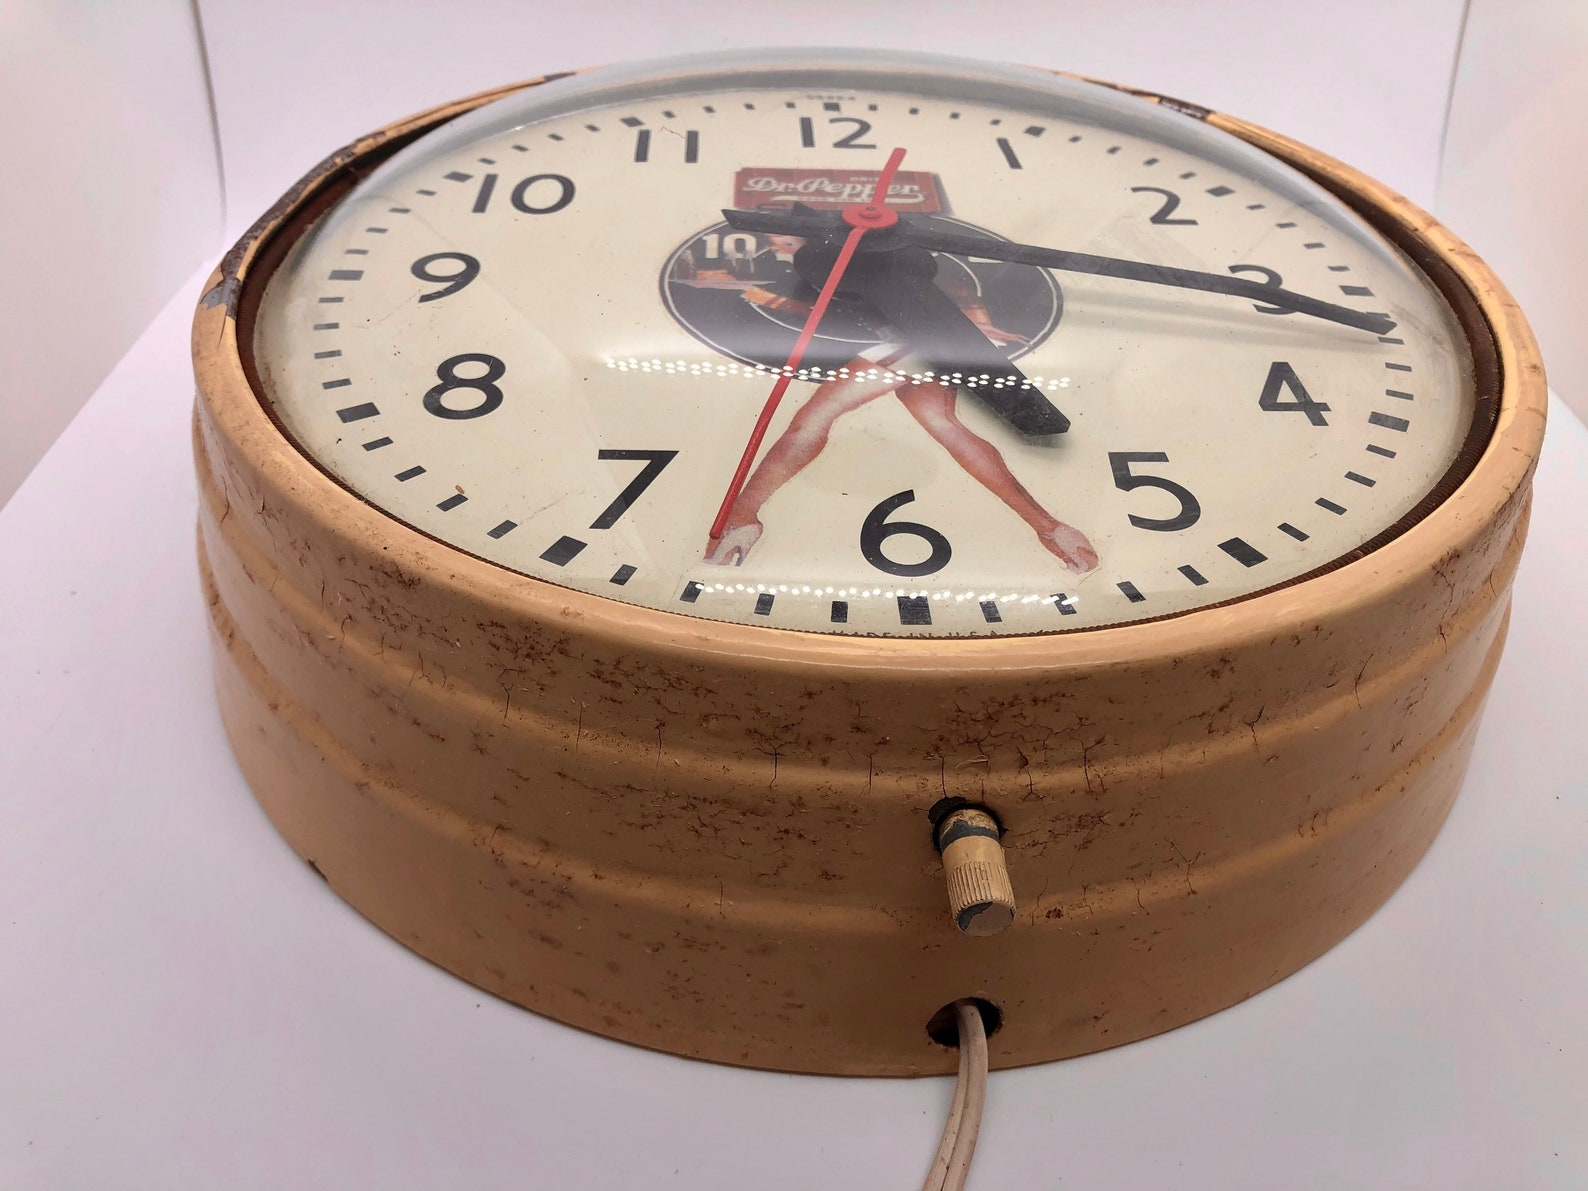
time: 5:15
